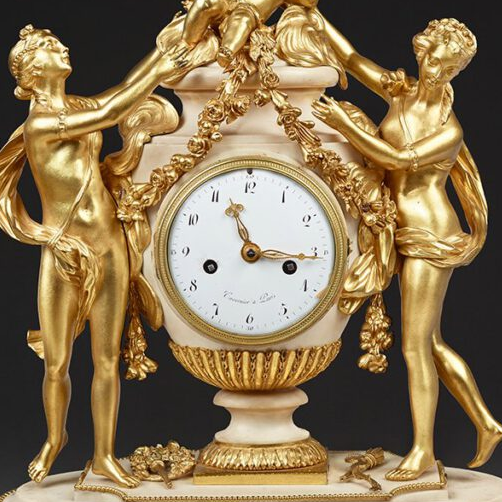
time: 11:15
